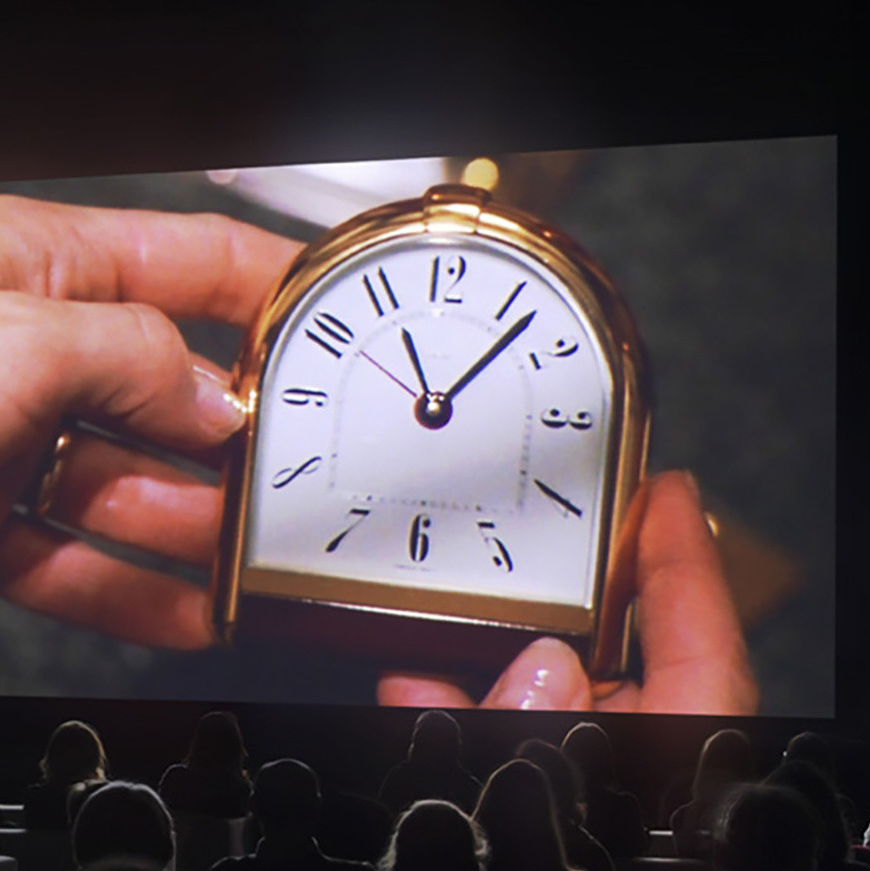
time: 11:07
